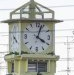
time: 4:03
